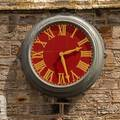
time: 2:27
